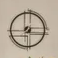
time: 7:15
